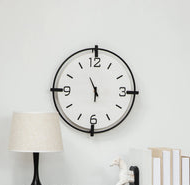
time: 5:55
